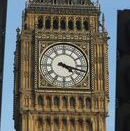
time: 4:17
